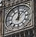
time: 12:07
